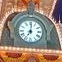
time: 7:00
